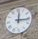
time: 12:16
